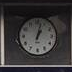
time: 1:02
